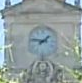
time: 1:46
